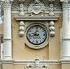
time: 9:01
